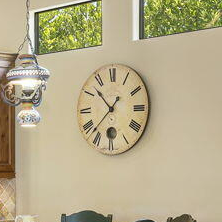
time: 10:37
